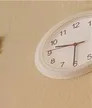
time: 9:30
